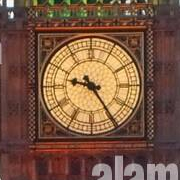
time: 9:24
